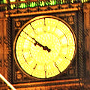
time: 9:50
